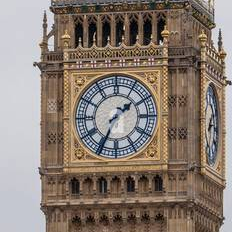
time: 1:34
